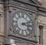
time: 3:11
